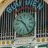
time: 10:24
